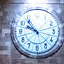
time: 9:53
